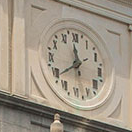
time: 11:39
